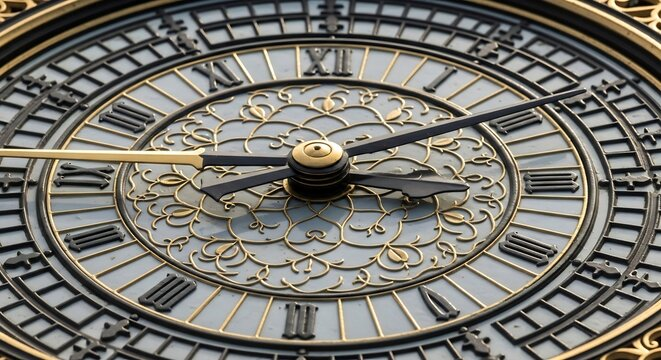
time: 3:09
